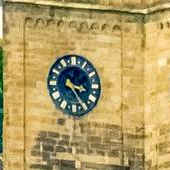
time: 3:24
